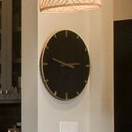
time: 2:47
